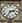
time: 2:35
